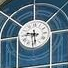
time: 9:28
